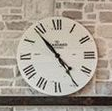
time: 4:53
